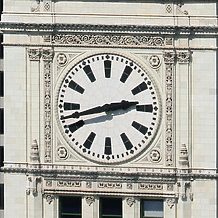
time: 2:42
